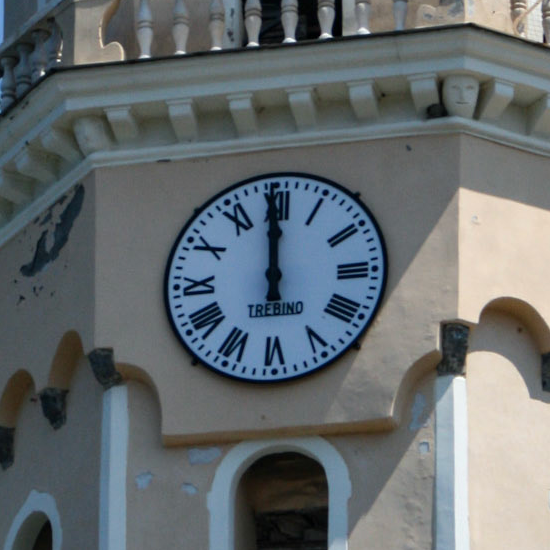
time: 11:59
